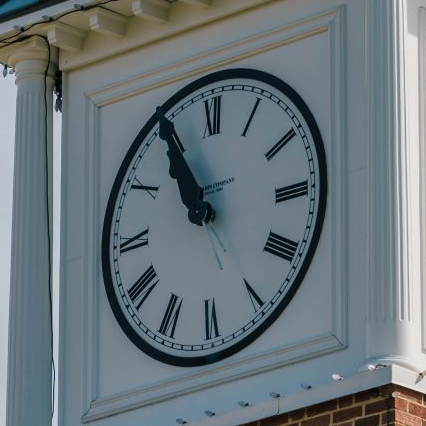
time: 10:55
